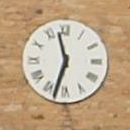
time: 11:32
